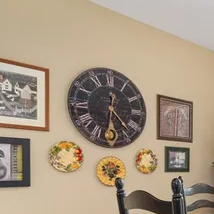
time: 12:23
